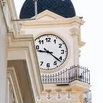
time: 9:21
